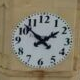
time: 1:52
